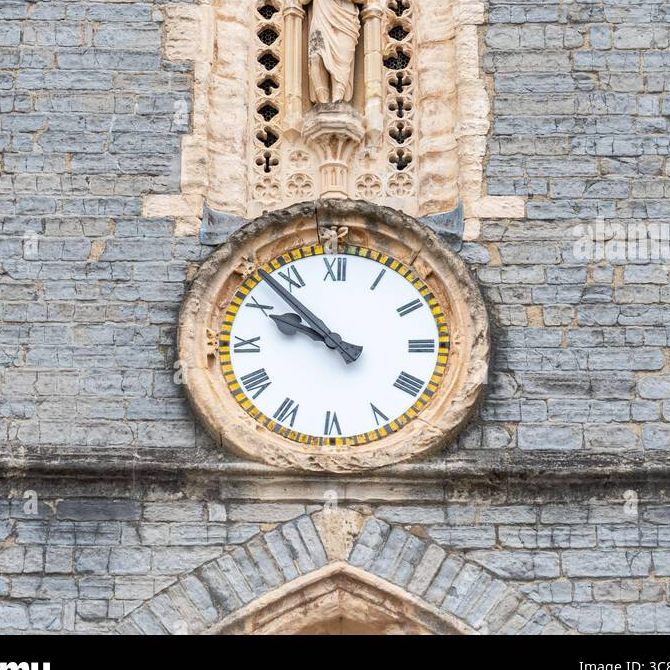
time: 9:52
